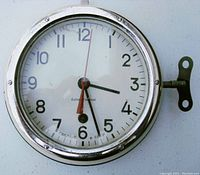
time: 3:27
